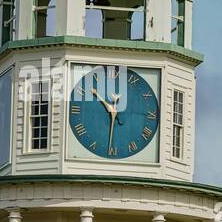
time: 10:31
